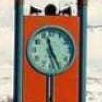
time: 11:25
